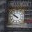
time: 9:51
